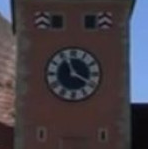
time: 3:56
